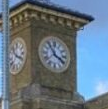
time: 3:54
